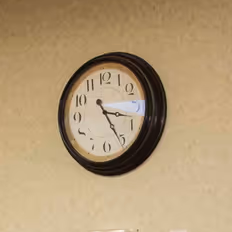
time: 3:25
